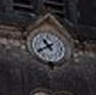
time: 10:40
